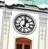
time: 1:01
